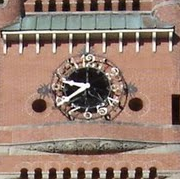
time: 9:39
